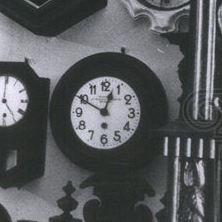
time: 12:49
